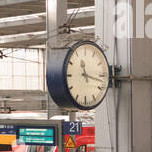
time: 11:17
